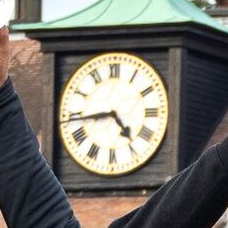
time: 4:43
